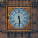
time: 5:29
